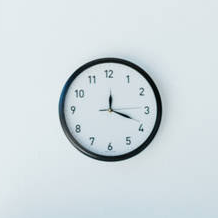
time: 12:18
